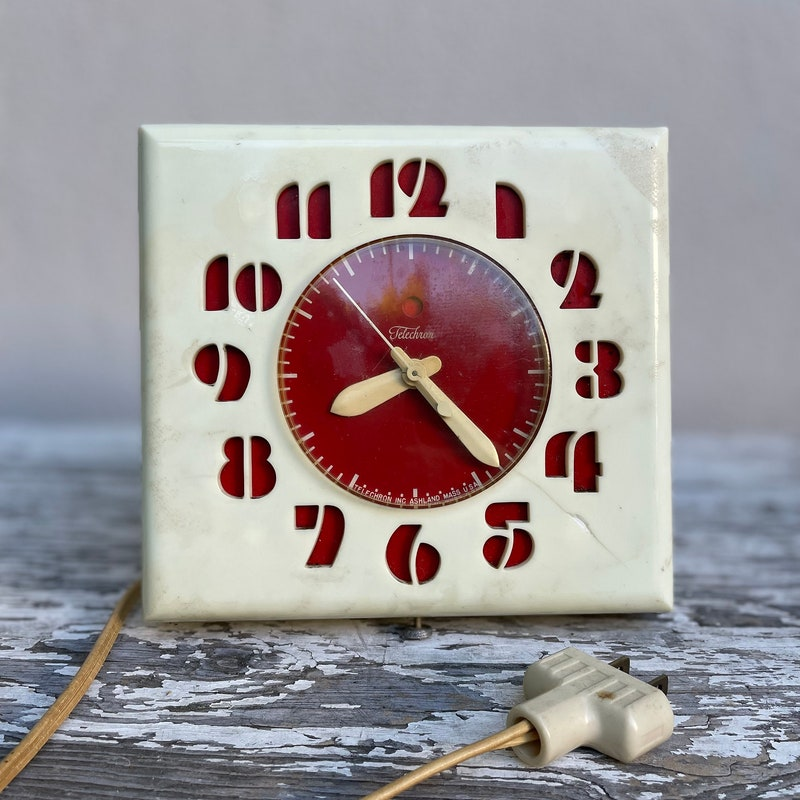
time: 8:23
